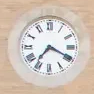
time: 7:19
